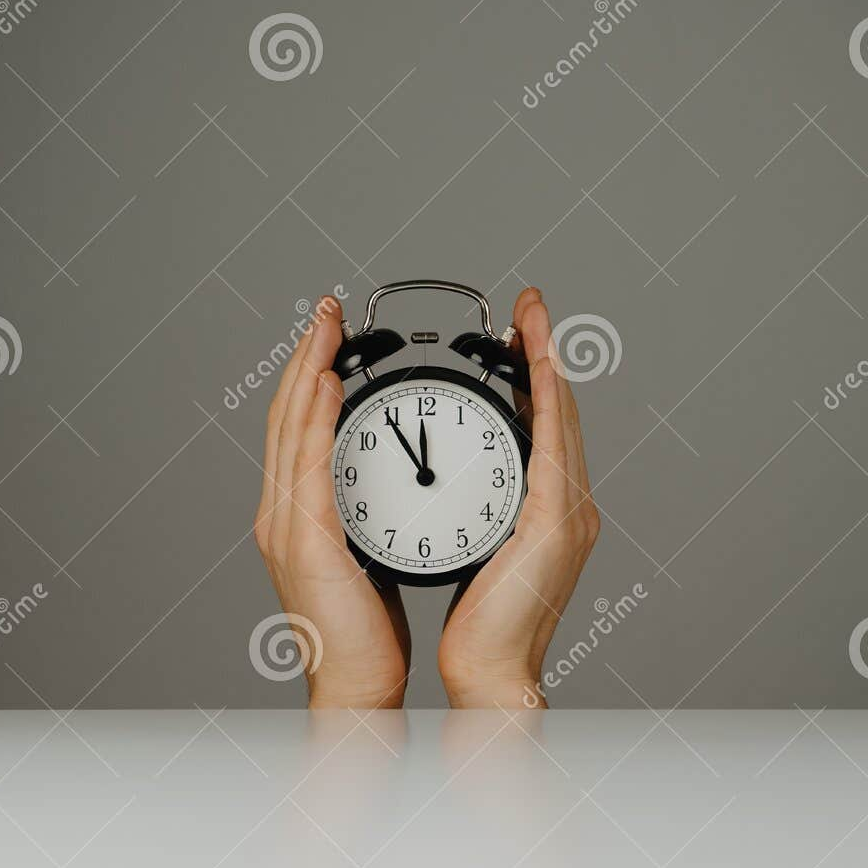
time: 11:54
